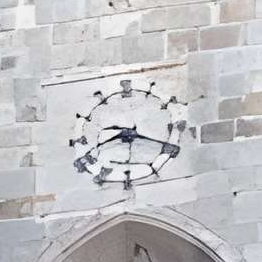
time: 8:19
